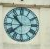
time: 10:38
